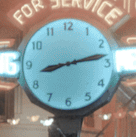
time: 8:12
